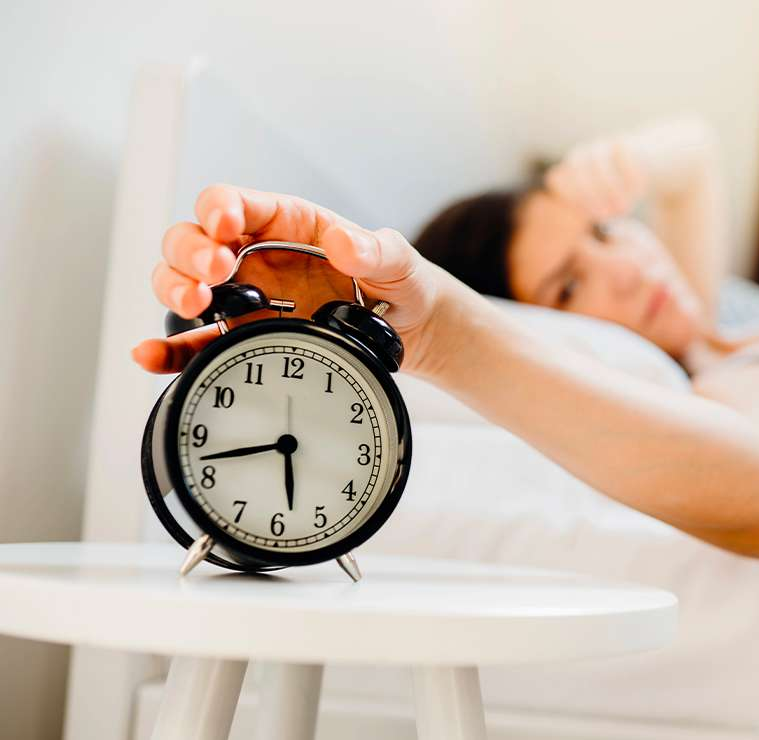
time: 5:42
